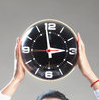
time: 2:58
